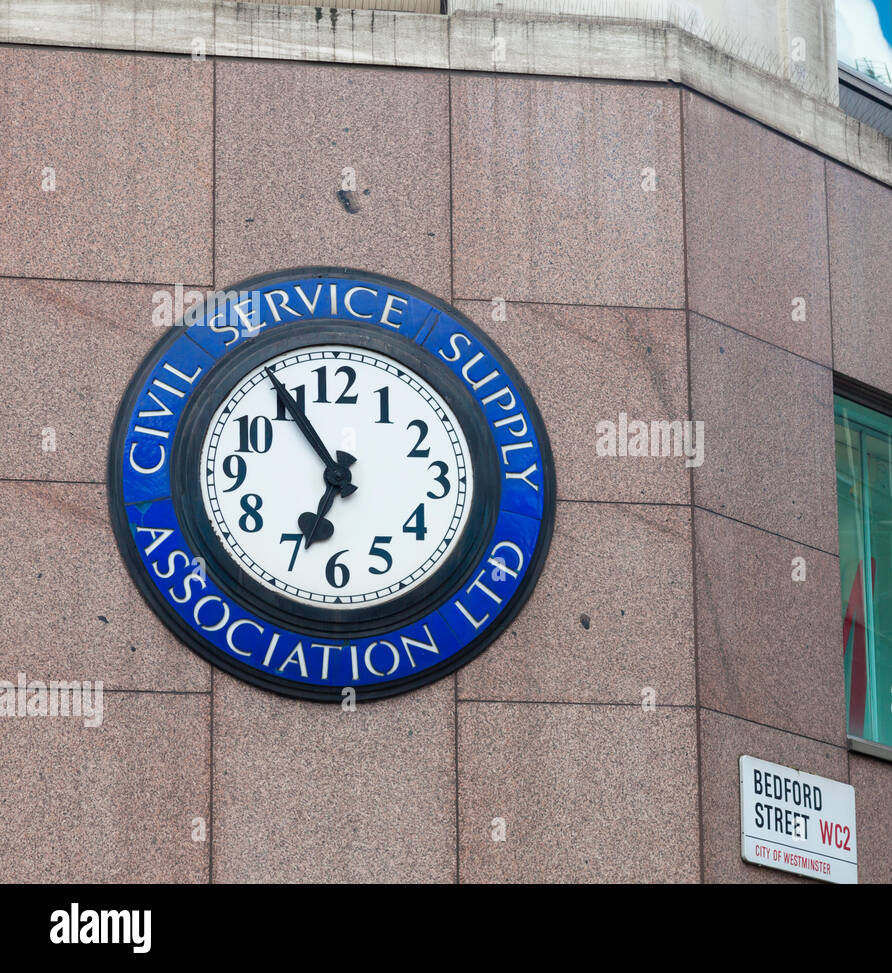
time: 6:54
